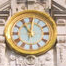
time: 11:01
